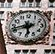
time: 5:42
